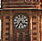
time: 4:35
